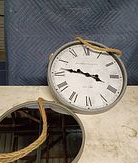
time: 3:47
